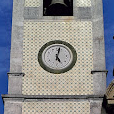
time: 5:02
